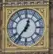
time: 12:36
